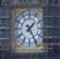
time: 1:24
